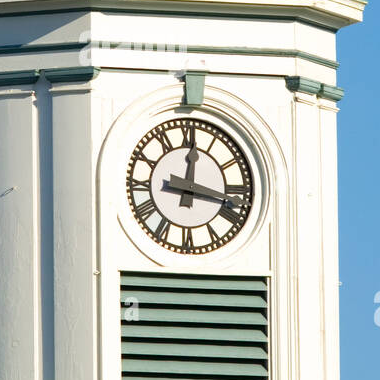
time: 12:17
